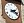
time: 2:18
